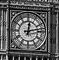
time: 12:13
